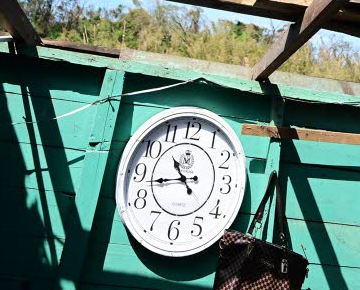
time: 10:43
